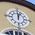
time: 12:03
